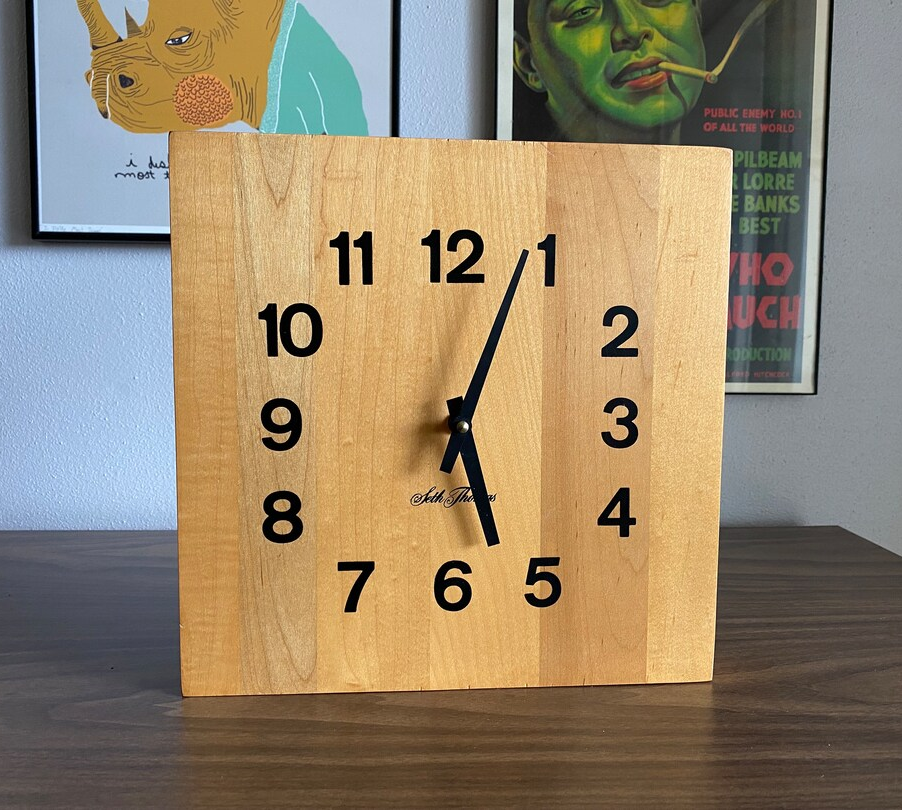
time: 5:03
